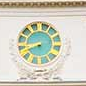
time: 8:40
